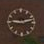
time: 9:12
